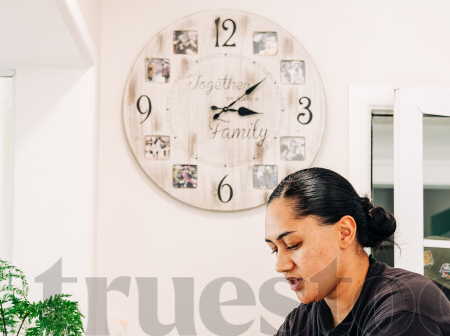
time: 3:09
